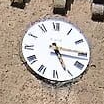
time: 5:16
